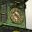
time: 10:22
